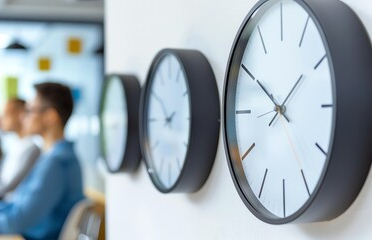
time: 1:50
